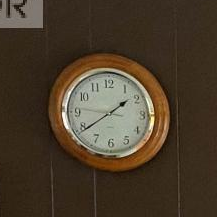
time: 1:39
